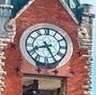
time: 8:25
